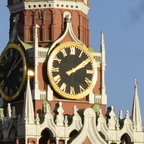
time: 2:09
